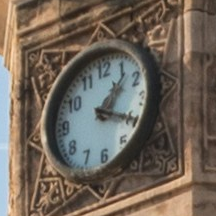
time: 1:20
